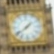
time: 1:39
